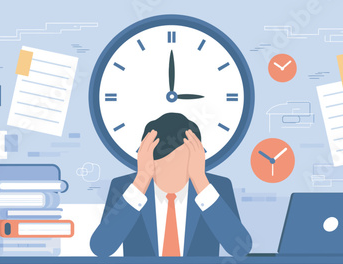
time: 3:00
